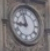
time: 8:57
